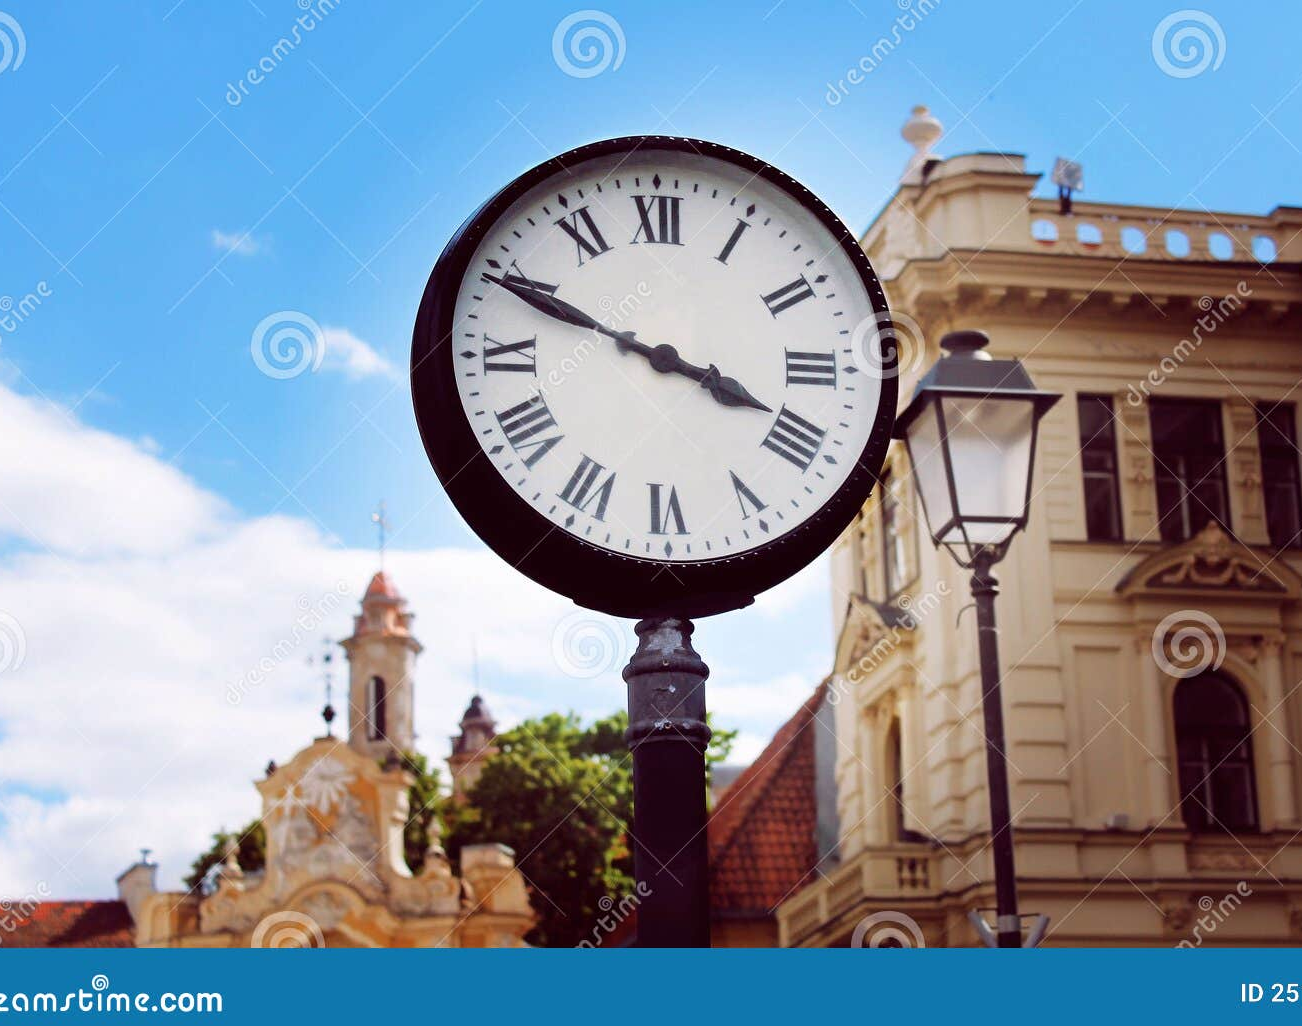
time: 3:49
